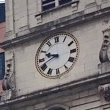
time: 9:41
